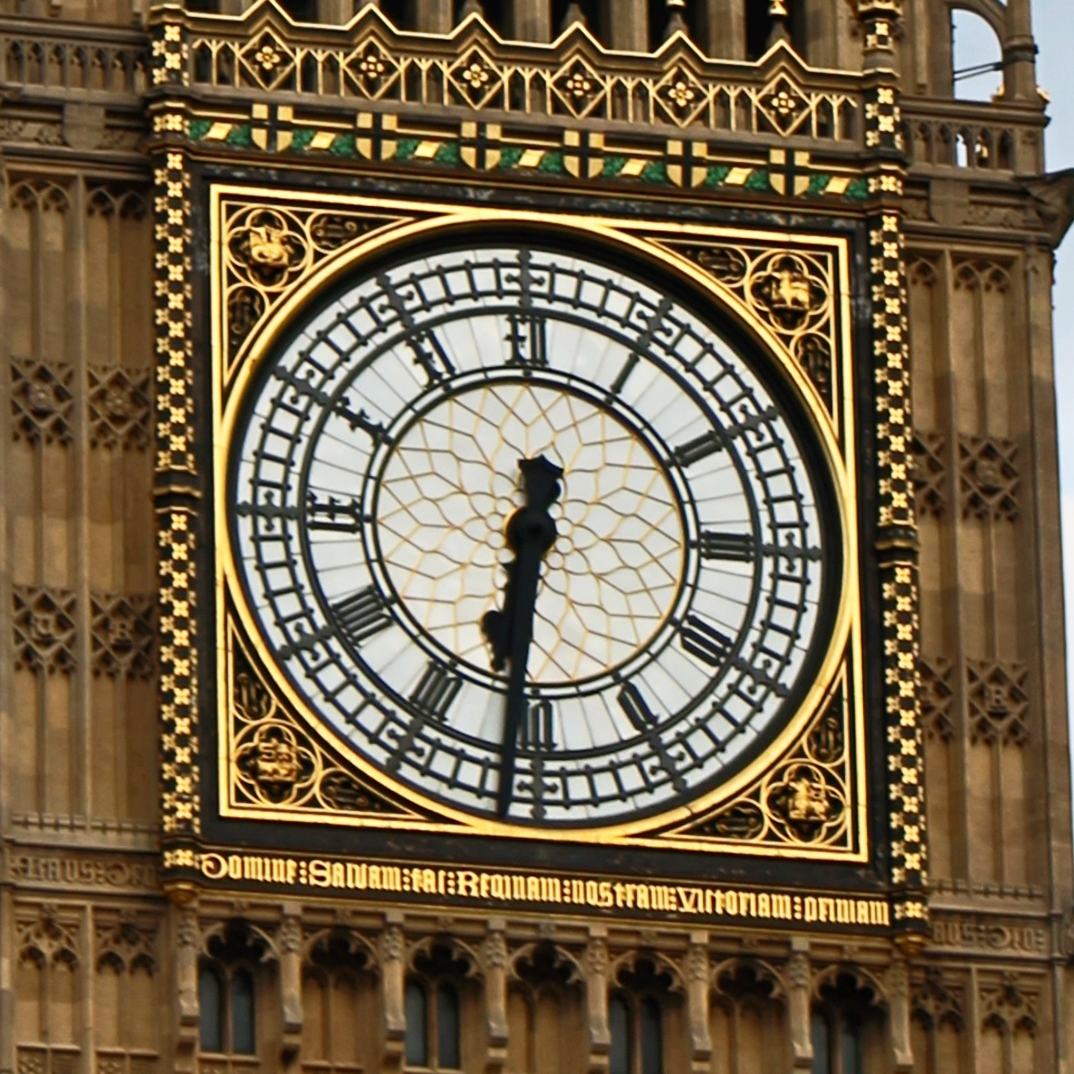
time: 6:31
